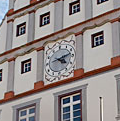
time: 4:12
